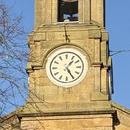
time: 1:24
